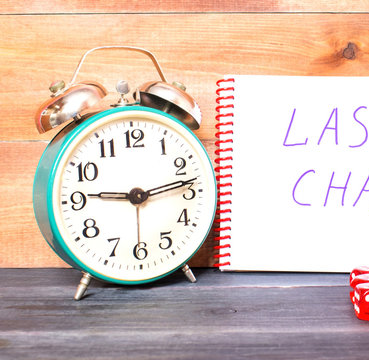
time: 9:13
